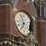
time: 6:56
